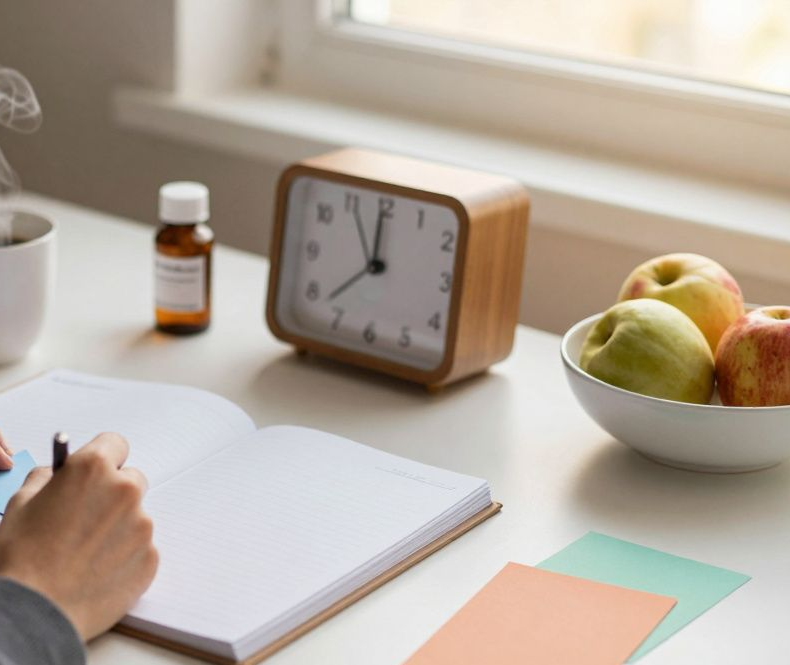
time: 11:37
